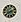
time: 8:11
